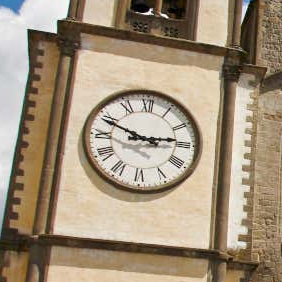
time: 2:48
